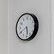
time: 5:40
